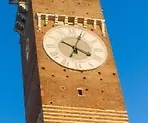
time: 4:04
